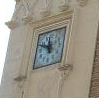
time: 11:48
